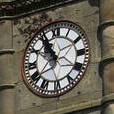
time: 10:55
